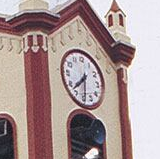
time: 7:30
